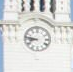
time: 8:46
